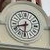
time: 8:30
